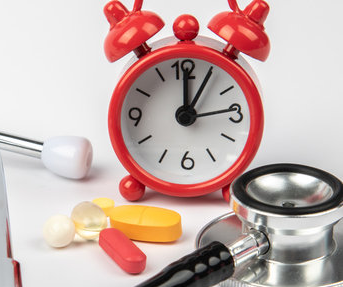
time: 12:05
